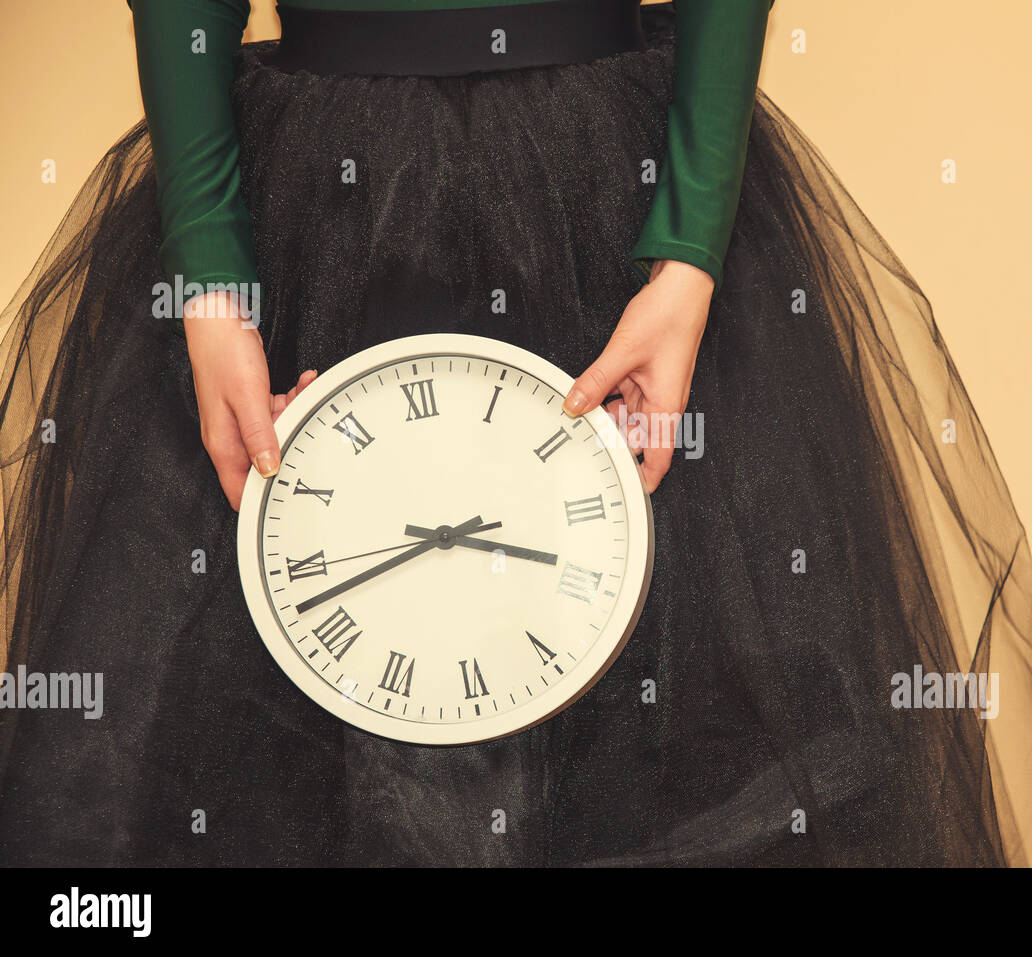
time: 3:42
